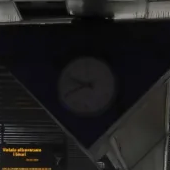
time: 9:41
